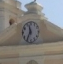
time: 11:35
